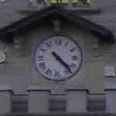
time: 4:22
